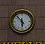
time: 5:52
